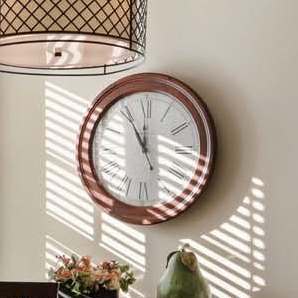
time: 11:54
